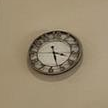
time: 3:27
